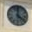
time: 4:00
